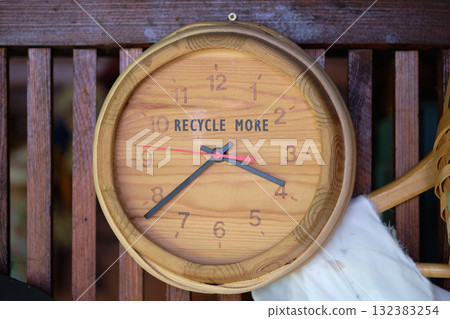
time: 3:38
